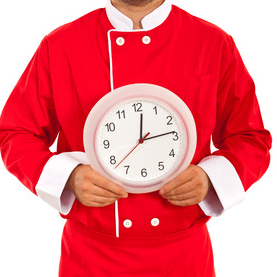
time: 12:13
